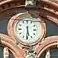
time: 5:30
